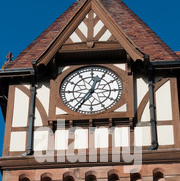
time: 12:35
